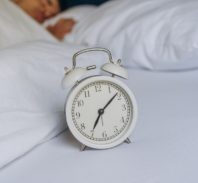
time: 7:08
